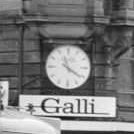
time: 11:21
